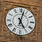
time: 5:02
